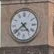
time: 4:38
